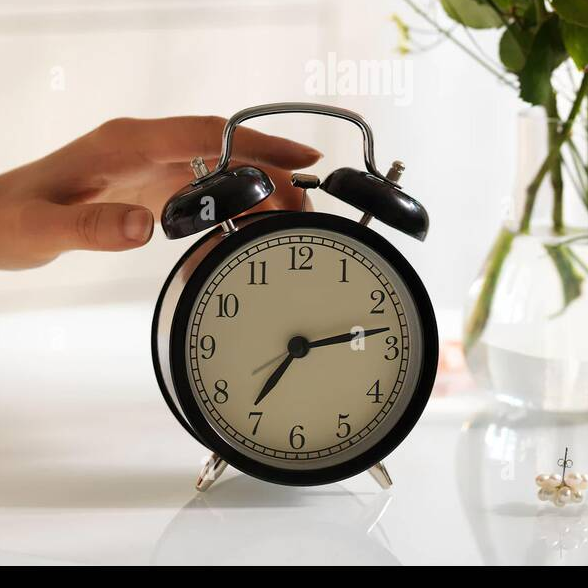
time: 7:13
